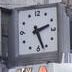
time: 2:26
